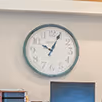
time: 10:04
